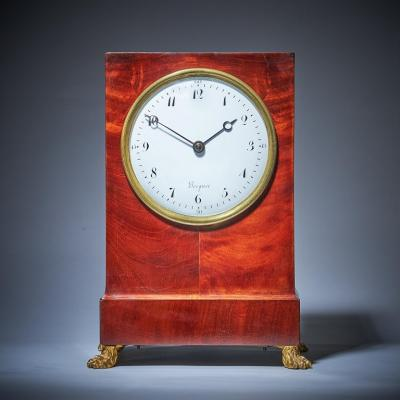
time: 1:50
